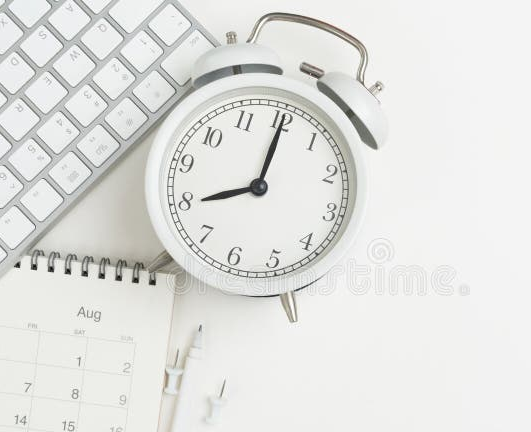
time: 8:00
